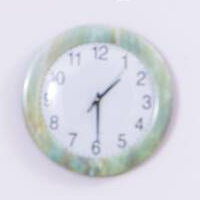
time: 1:29
